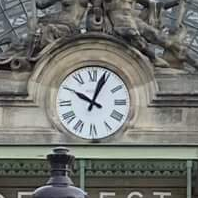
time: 10:03
